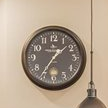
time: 1:36
